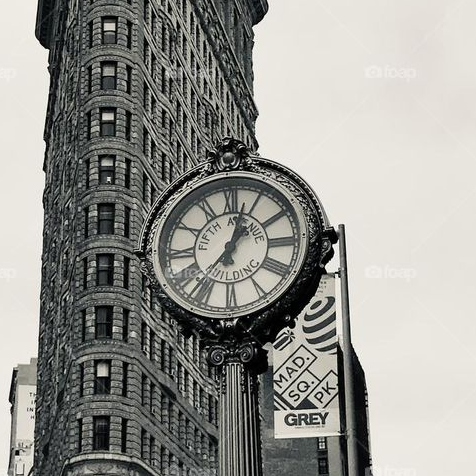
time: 12:36
